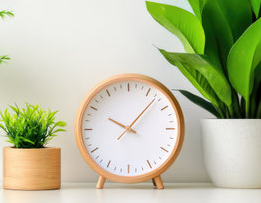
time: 10:07
